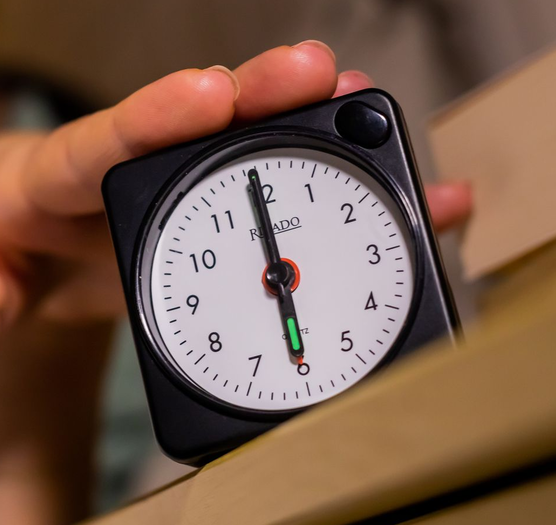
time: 5:59
